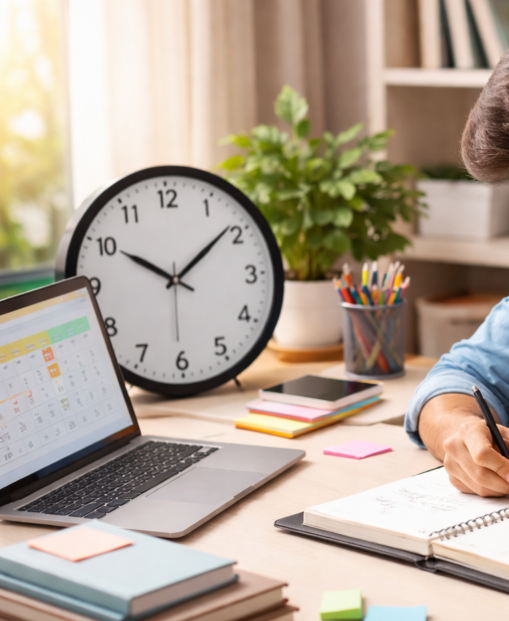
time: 10:08
